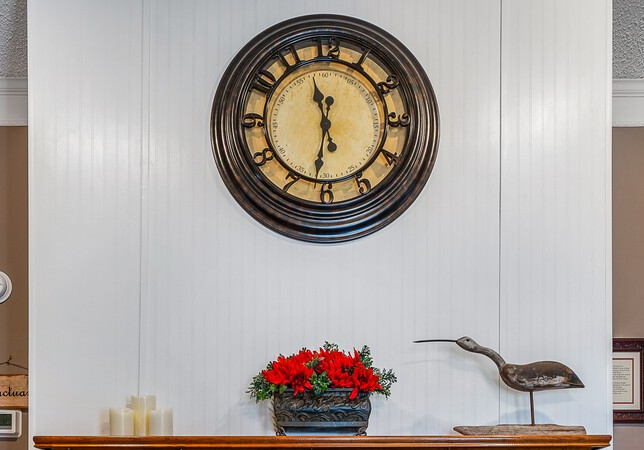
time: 11:31
